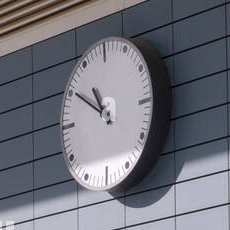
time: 10:50
